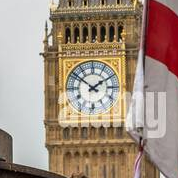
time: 1:51
